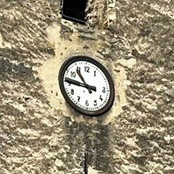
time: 10:45
